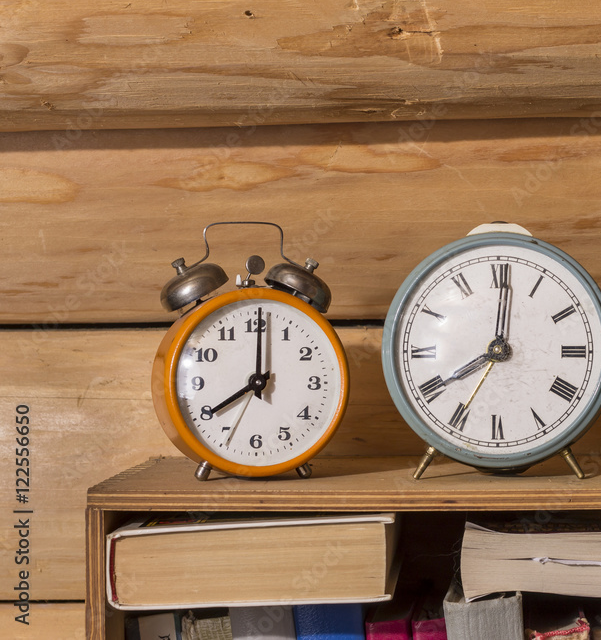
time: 8:00
